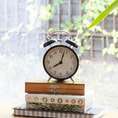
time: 8:03
